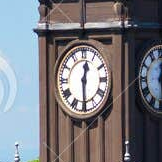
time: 12:29
